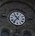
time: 10:36
